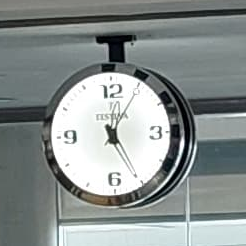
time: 5:05
